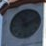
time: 11:12
